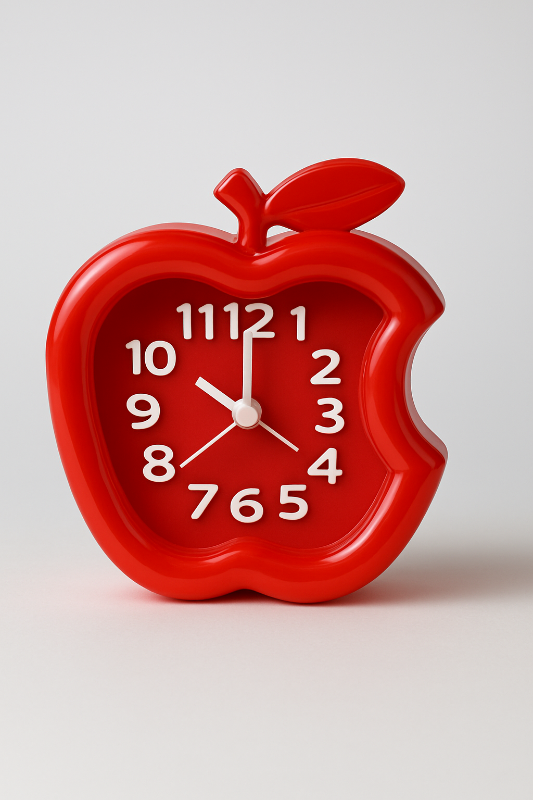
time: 10:00
